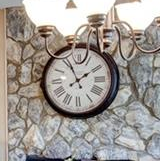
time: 1:56
